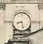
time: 8:27
